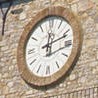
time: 12:11
